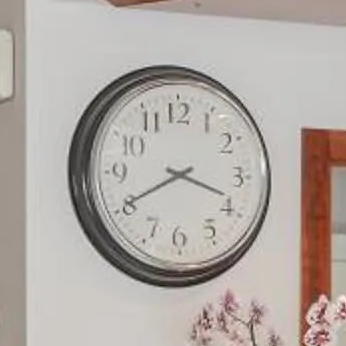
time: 3:40
